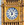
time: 11:04
